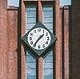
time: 1:36
